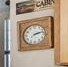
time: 2:12
